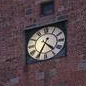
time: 4:34
